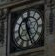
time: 11:26
